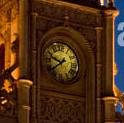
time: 9:38
